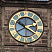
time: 10:20
